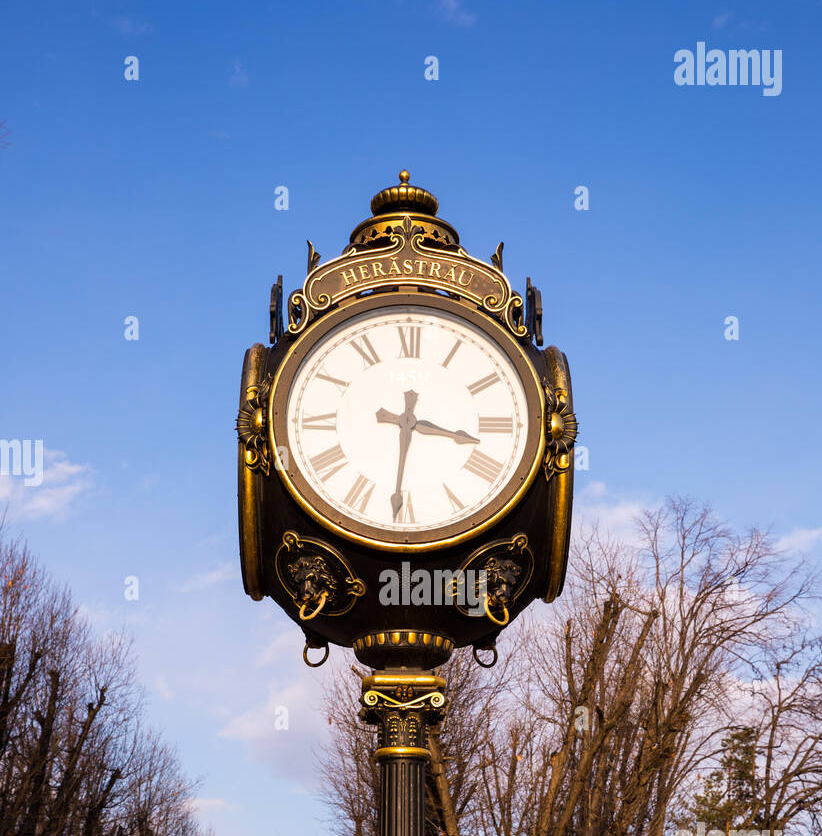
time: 3:31
